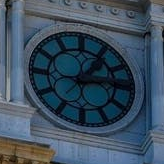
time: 1:13
